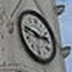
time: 2:46
